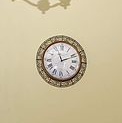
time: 11:11
